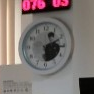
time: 6:10
